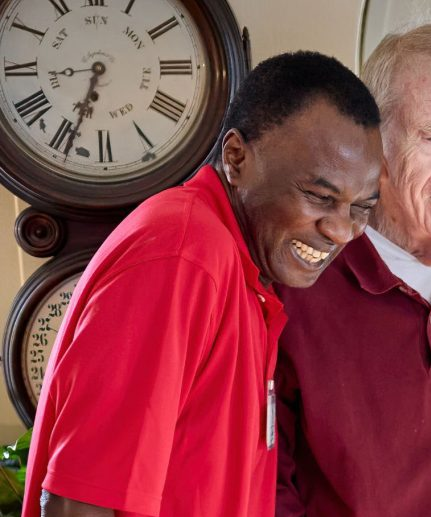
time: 6:33
